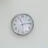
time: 11:13
